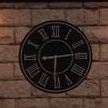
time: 6:13
